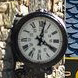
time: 4:02
